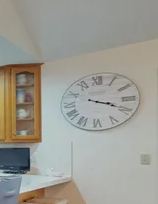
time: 3:18
